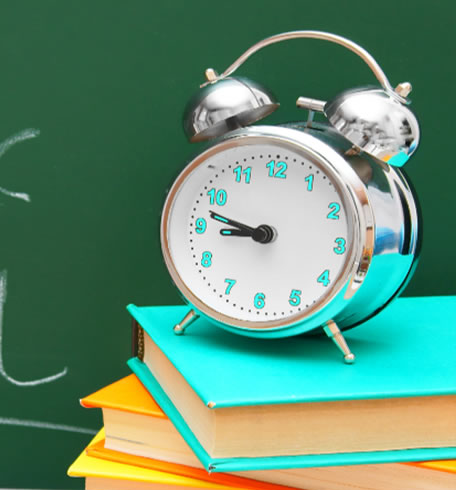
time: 8:47
